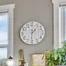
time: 1:30
